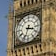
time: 3:33
